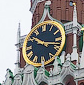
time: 10:17
